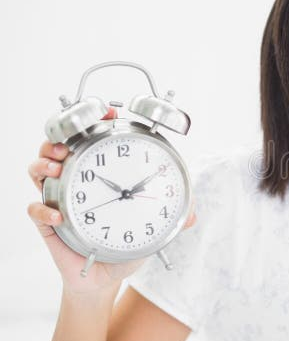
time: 1:51
